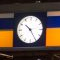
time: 10:24
